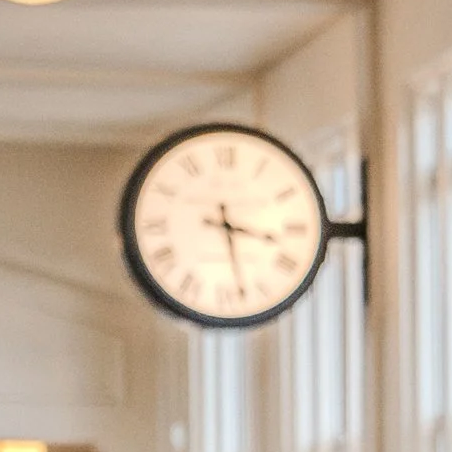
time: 3:27
